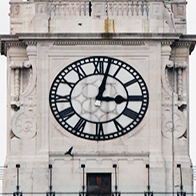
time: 3:02
